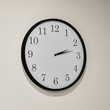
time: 2:12
